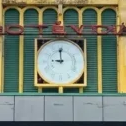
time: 8:59
